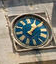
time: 1:09
